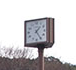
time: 1:24
